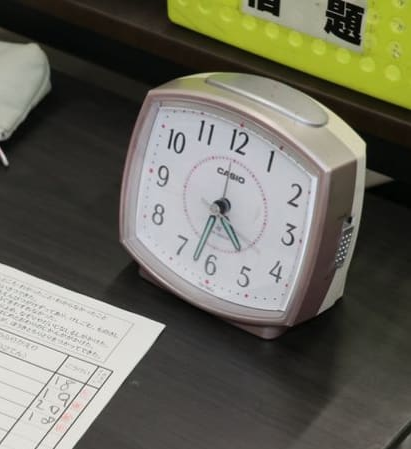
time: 4:32
